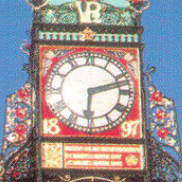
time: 6:12
